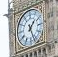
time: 1:26
